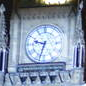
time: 9:33
